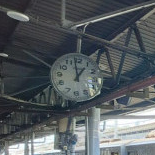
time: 12:58
